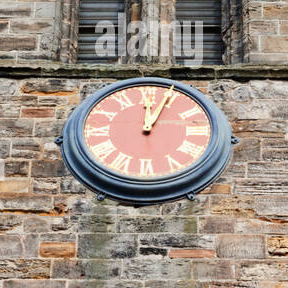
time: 12:04
